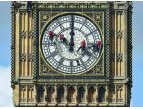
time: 10:00
